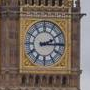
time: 2:15
